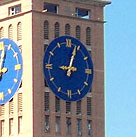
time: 9:03
